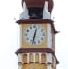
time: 12:32
